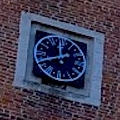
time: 11:41
